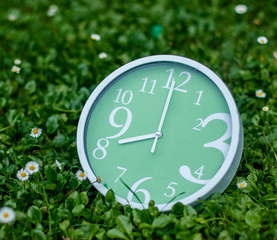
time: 7:59
